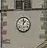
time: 1:00
